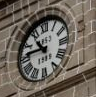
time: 10:46
